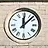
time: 12:07
